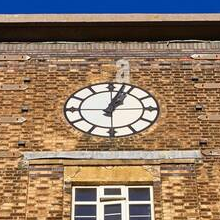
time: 1:02
